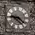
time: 9:22
